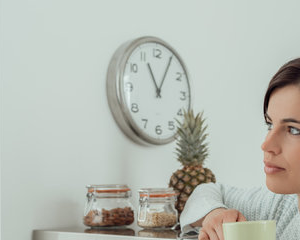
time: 11:05
